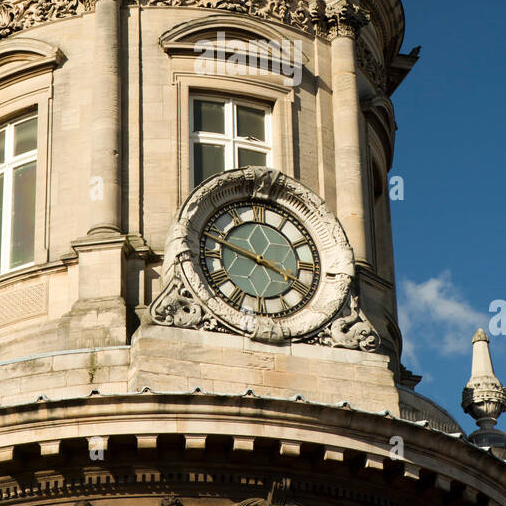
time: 3:47
